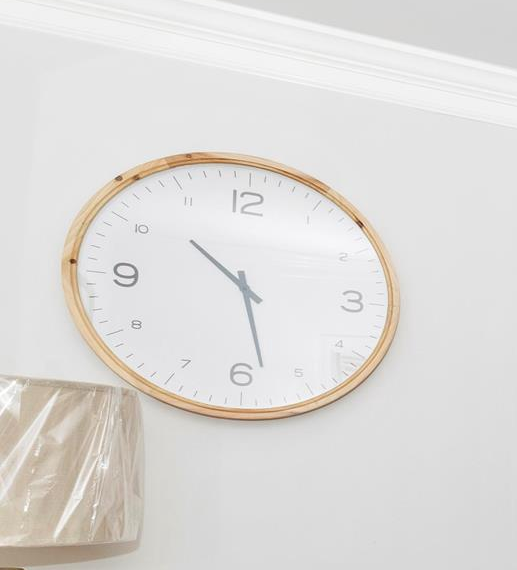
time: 10:28
